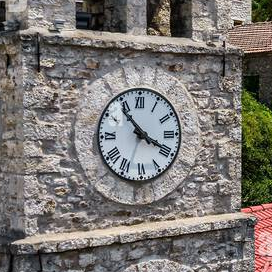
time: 3:53
